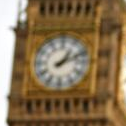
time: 1:11
